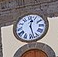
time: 12:27
